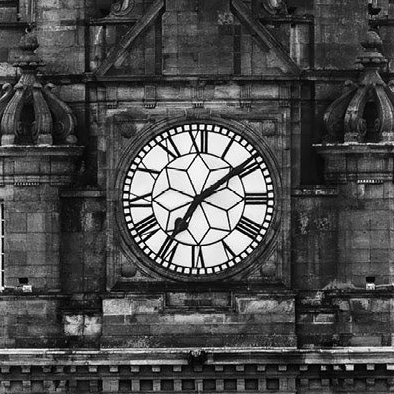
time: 7:08
